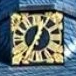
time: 12:34
